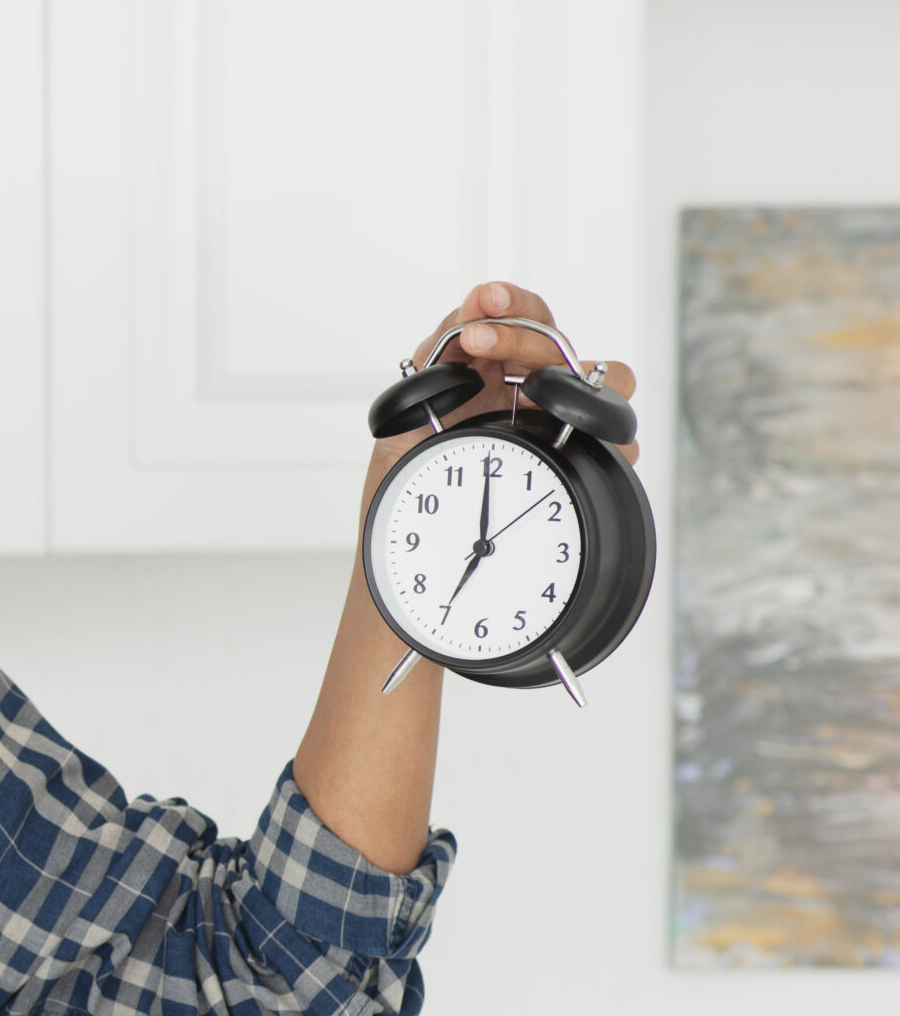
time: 6:59
